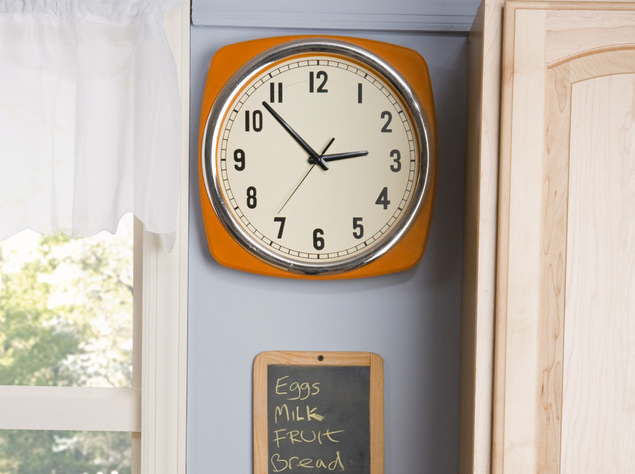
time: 2:52
